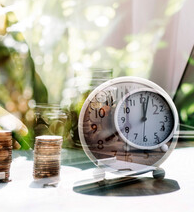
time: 12:02
